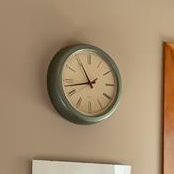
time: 10:42
